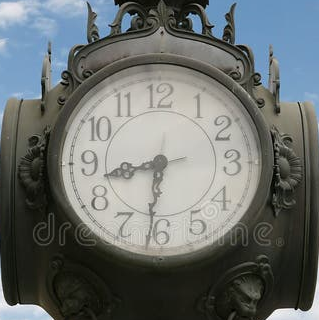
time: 8:31
